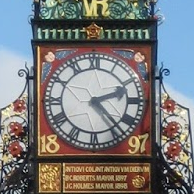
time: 2:23
